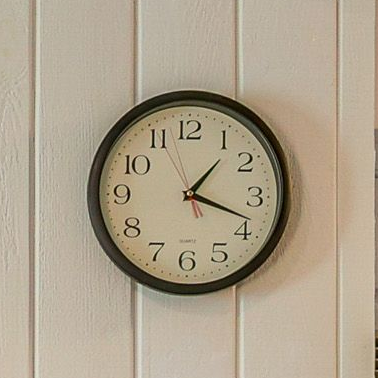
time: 1:18
